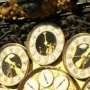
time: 5:59
